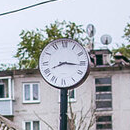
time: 8:16
